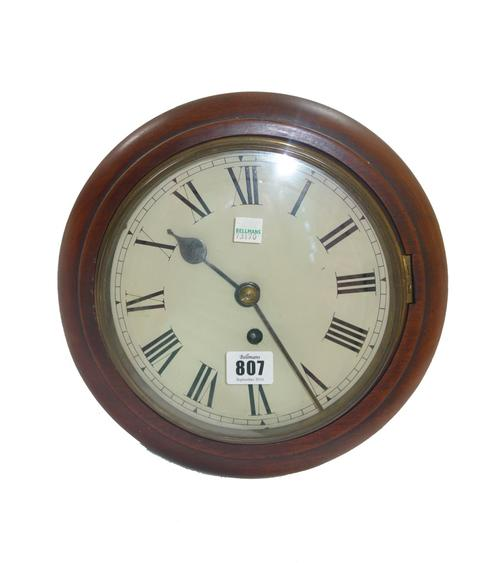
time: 10:25
